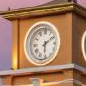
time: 6:10
